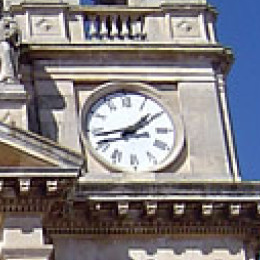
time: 1:43
